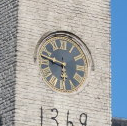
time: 5:47
